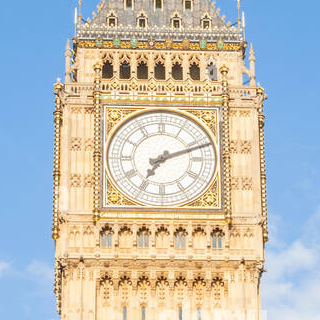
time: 7:11
